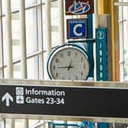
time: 12:45
